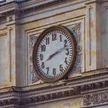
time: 8:12
